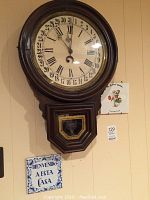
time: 11:00
